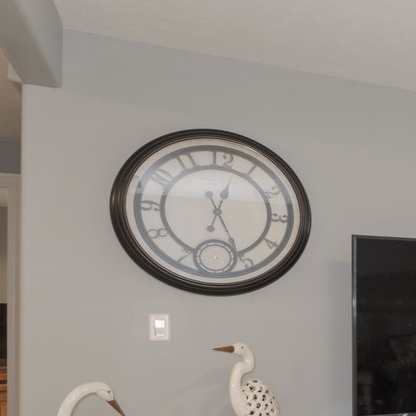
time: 12:26
